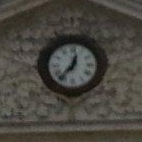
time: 12:37
